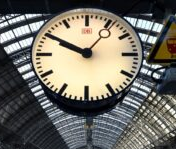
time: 9:50
